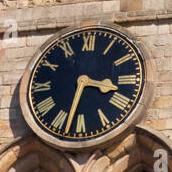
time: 3:32
